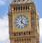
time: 12:22
